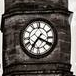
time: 7:19
